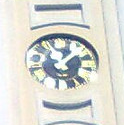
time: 1:02
